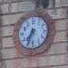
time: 7:33
